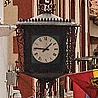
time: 1:46
